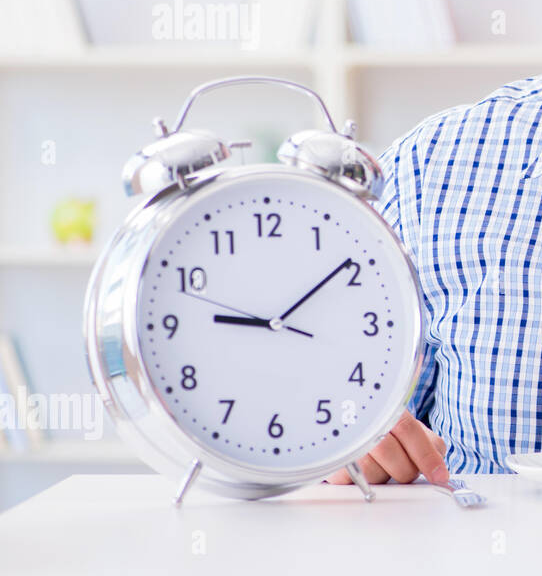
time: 9:09
